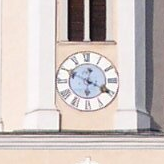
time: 12:19
